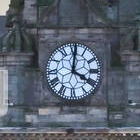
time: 4:00
